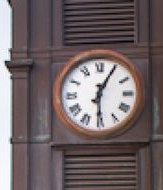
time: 6:04
